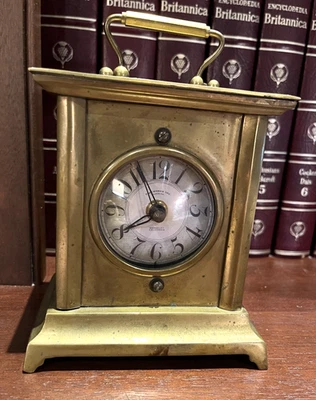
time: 7:55
